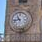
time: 10:42
